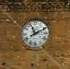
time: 11:10
